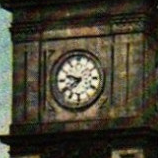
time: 9:40
